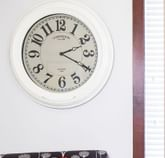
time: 2:19
